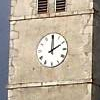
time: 2:00
